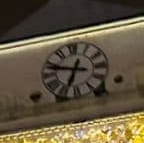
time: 6:47
